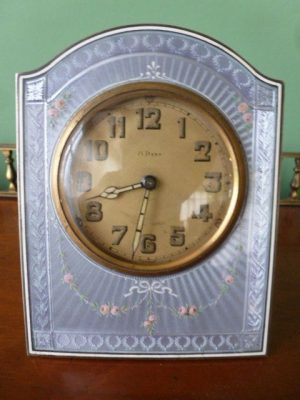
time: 8:32
